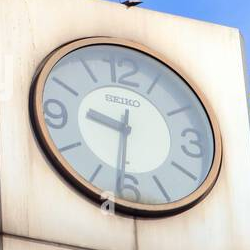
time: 9:31
